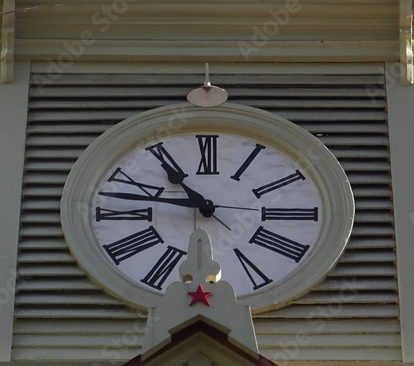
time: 10:47
